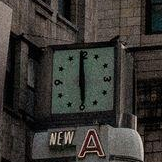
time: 5:59
